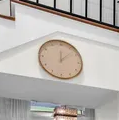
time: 12:07
